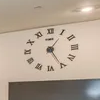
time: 1:25
